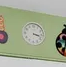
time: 3:17
